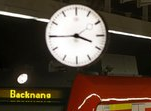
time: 3:44
